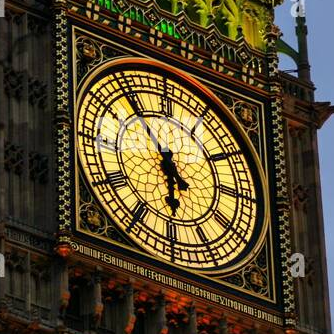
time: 5:53
